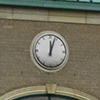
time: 12:03
